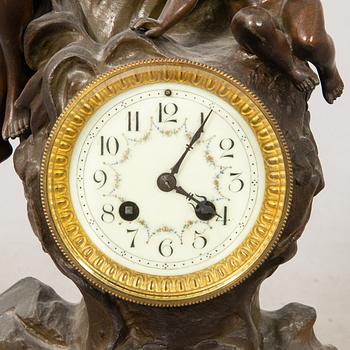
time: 4:05
